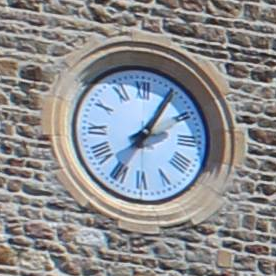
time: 2:05
